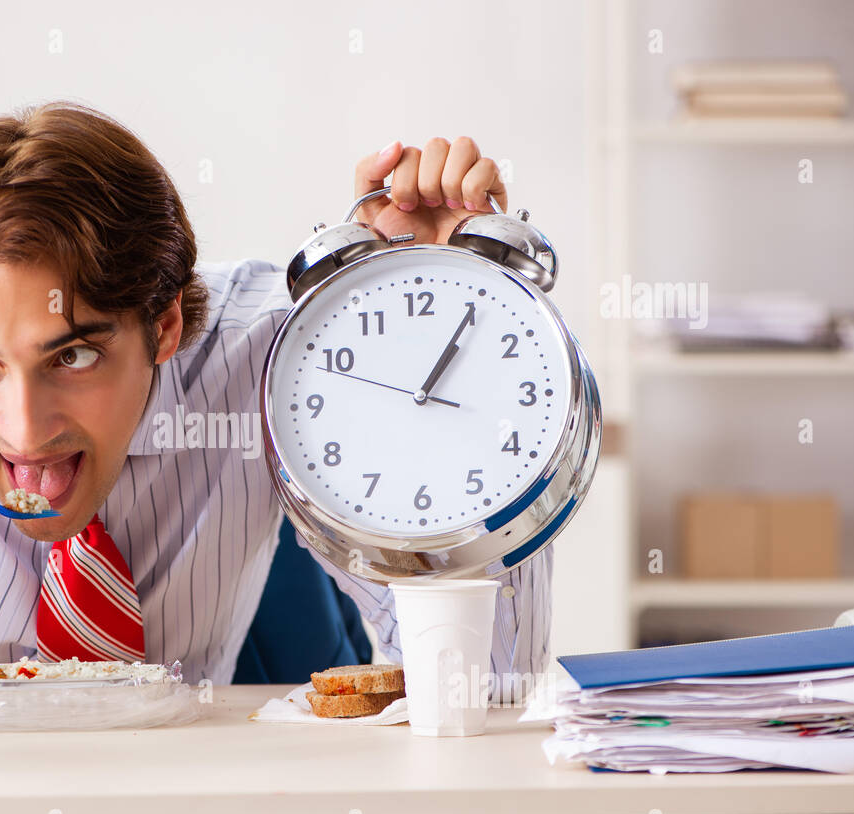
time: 1:05
